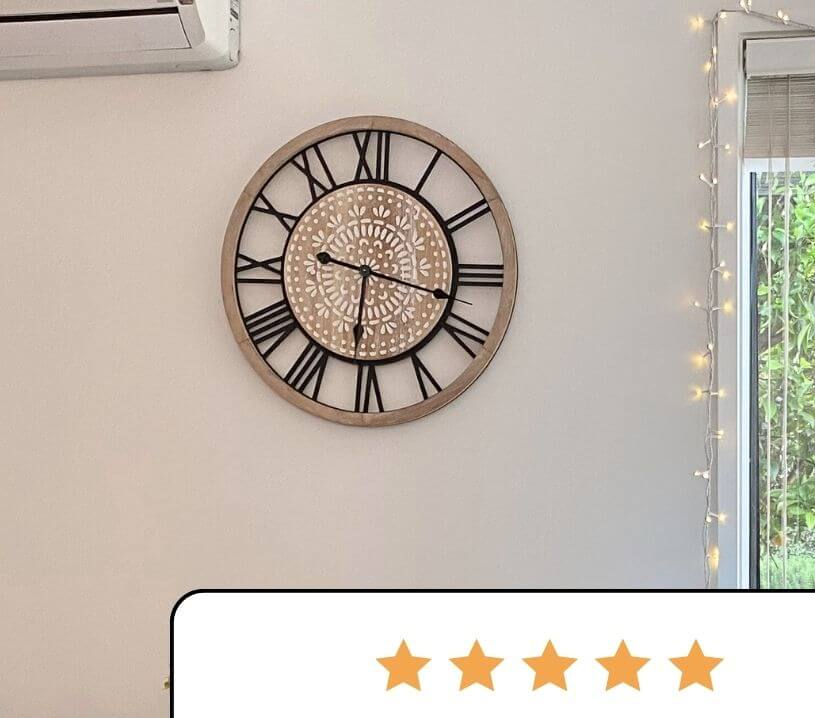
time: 6:17
